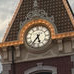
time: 5:36
